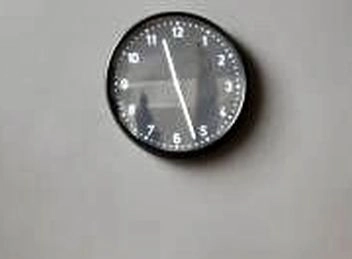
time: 11:26
